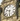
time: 9:31
